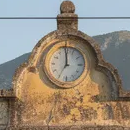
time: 11:59
